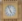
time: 4:57
